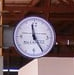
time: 11:24
